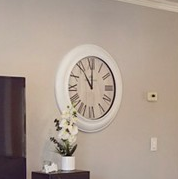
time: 11:00
